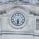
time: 5:31
